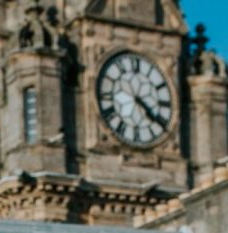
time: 4:21
